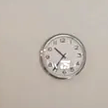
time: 10:36
